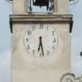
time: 6:28
